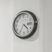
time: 4:35
